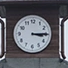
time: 3:14
